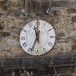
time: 11:33
